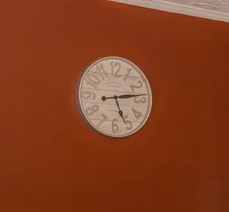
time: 5:13
